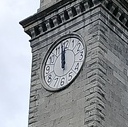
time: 11:58
